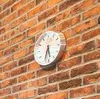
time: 5:33
